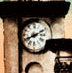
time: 8:11
